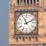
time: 11:11
